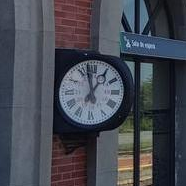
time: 12:57
